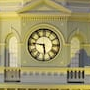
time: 5:46
